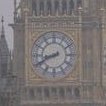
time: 8:40
